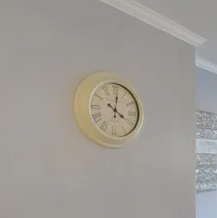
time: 4:01
